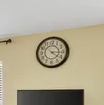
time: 4:15
